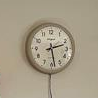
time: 2:28
